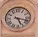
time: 5:17
